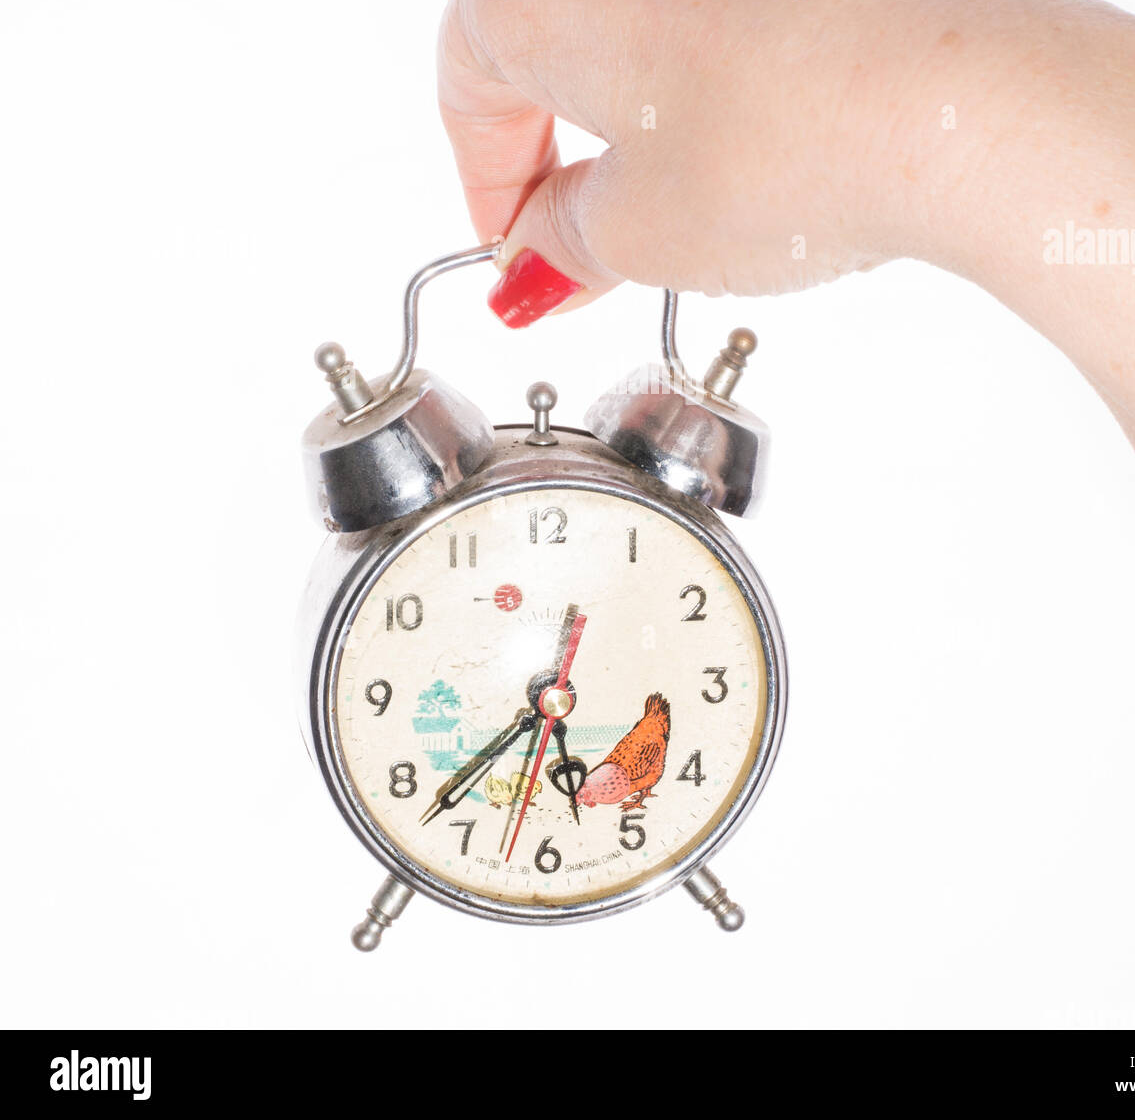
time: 5:37
